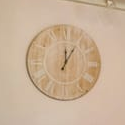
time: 12:05
